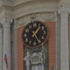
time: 1:24
